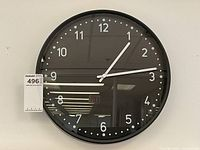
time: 1:13
